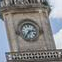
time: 7:12
